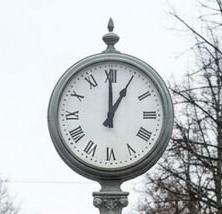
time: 1:00
